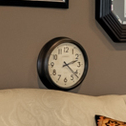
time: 2:21
